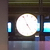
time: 4:55
